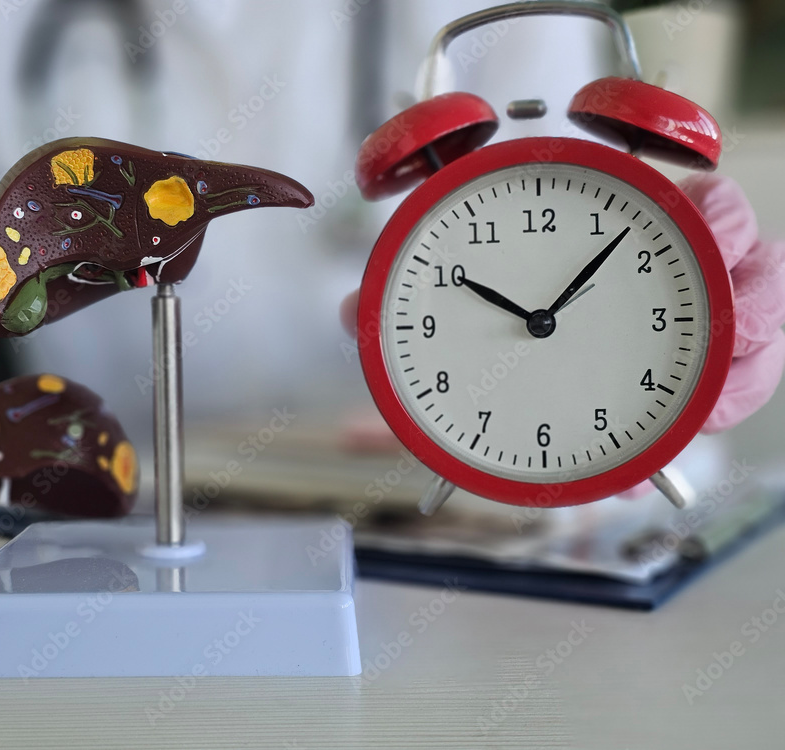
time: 10:07
